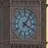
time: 4:06
